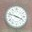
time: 3:47
